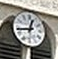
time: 12:43
